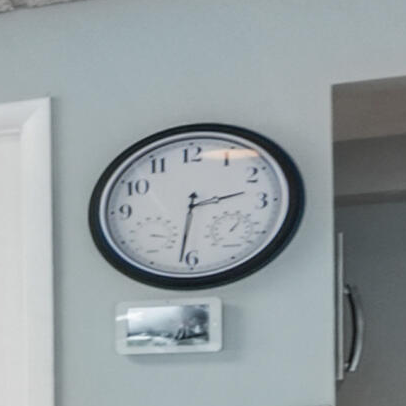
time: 2:31
